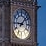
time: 9:07
